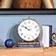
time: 9:50
